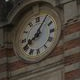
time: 8:05
